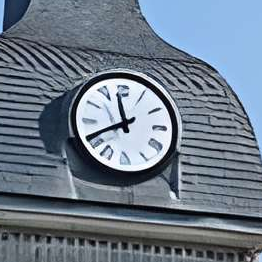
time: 11:40
